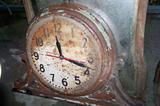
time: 11:18
